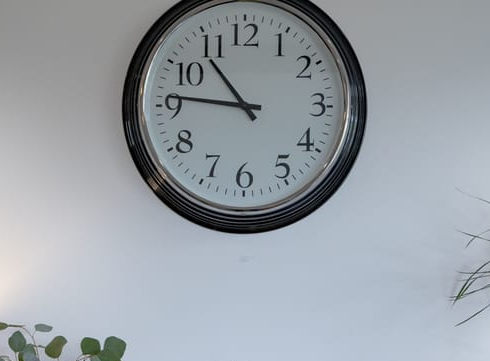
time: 10:46
